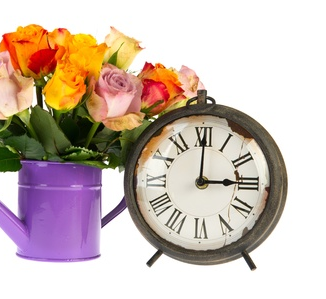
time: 3:00
